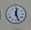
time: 12:26
